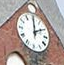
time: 2:00
